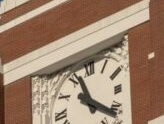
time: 11:21
